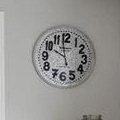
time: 9:58
